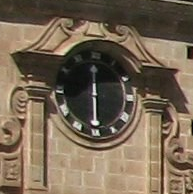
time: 5:59
